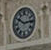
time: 10:13
